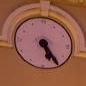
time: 5:24
